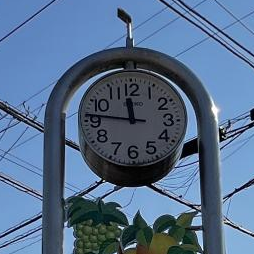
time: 11:46
